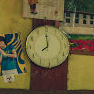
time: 7:59
